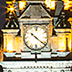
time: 10:21
